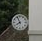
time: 7:55
